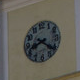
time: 8:21
